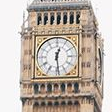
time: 12:28
